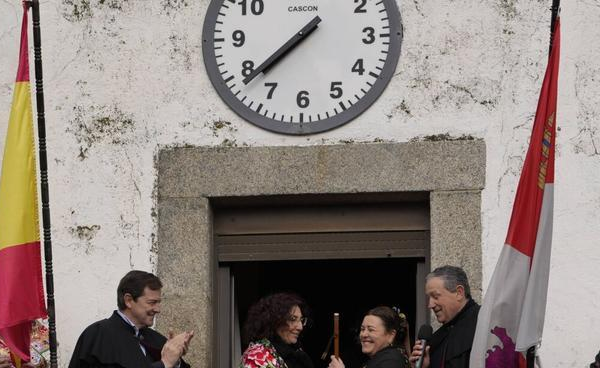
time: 7:38
